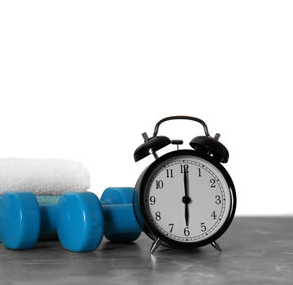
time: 6:00
